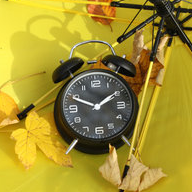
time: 1:49
